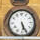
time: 5:26
